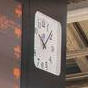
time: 10:07
